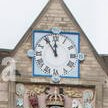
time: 11:54
